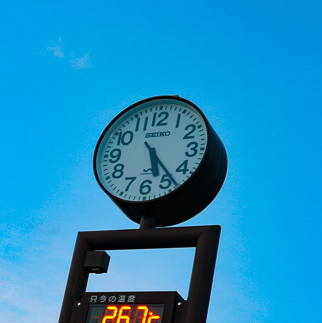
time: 5:23
